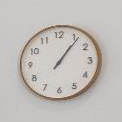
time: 1:06
